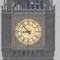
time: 8:52
